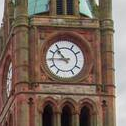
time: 10:45
